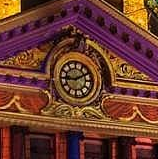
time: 9:10
